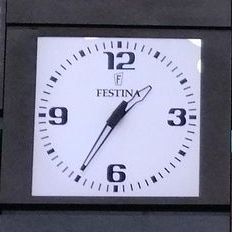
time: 1:34
